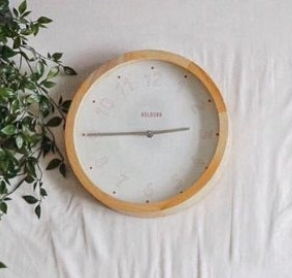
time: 2:44
